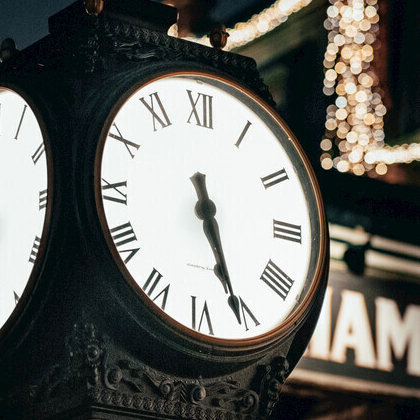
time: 5:26
